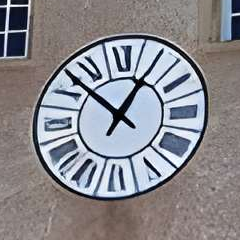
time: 12:52
